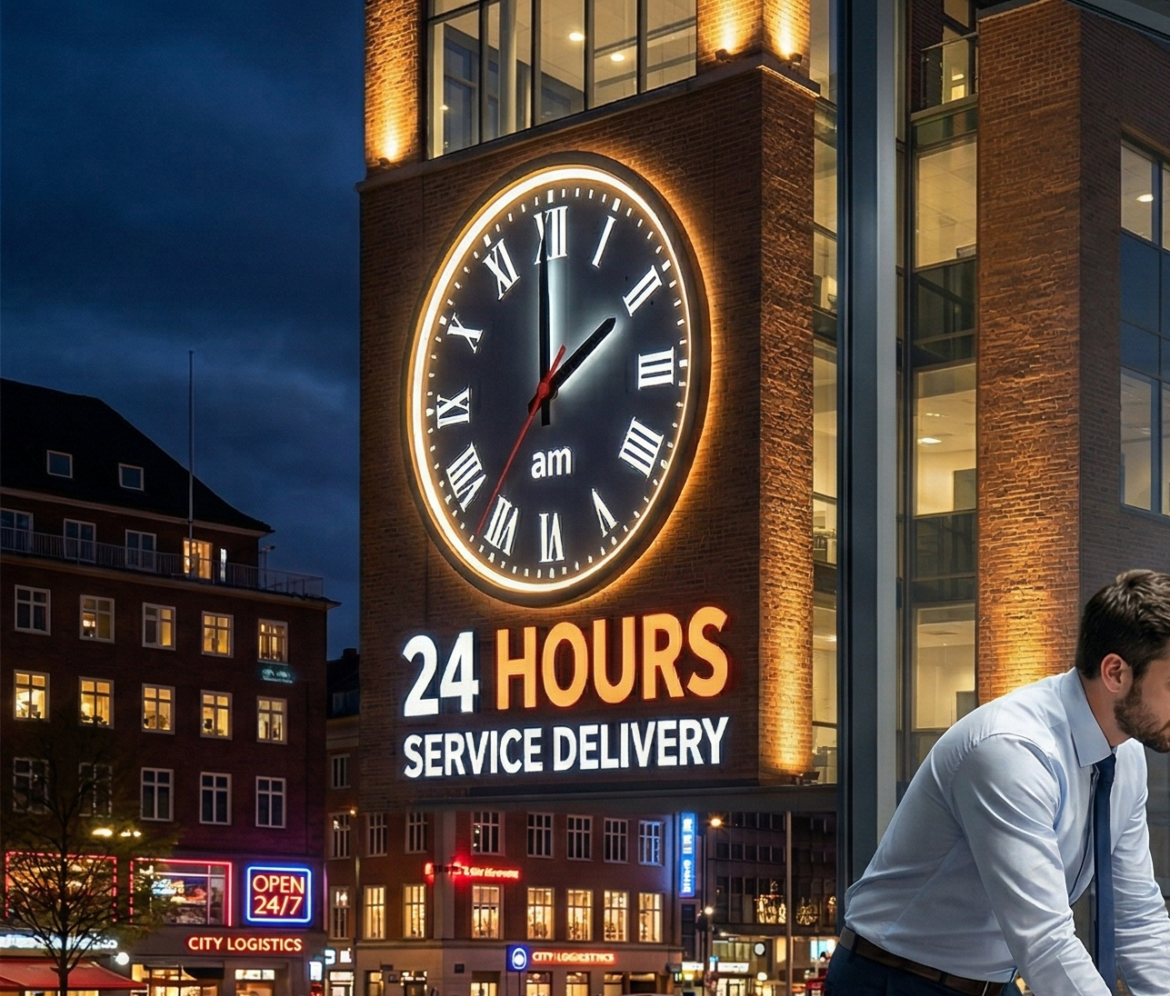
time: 2:00
